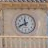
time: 11:41
